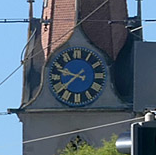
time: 9:38
